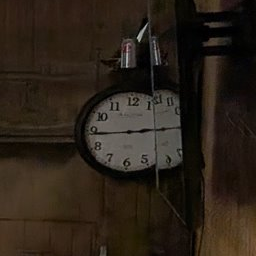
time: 2:44
